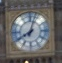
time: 8:03
